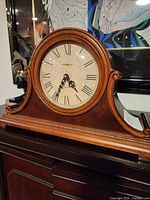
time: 4:34
